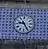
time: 9:25
